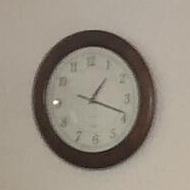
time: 1:18
